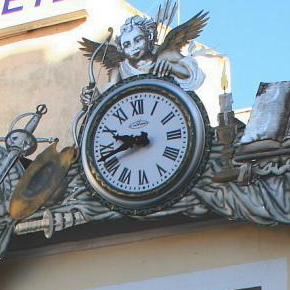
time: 9:42
